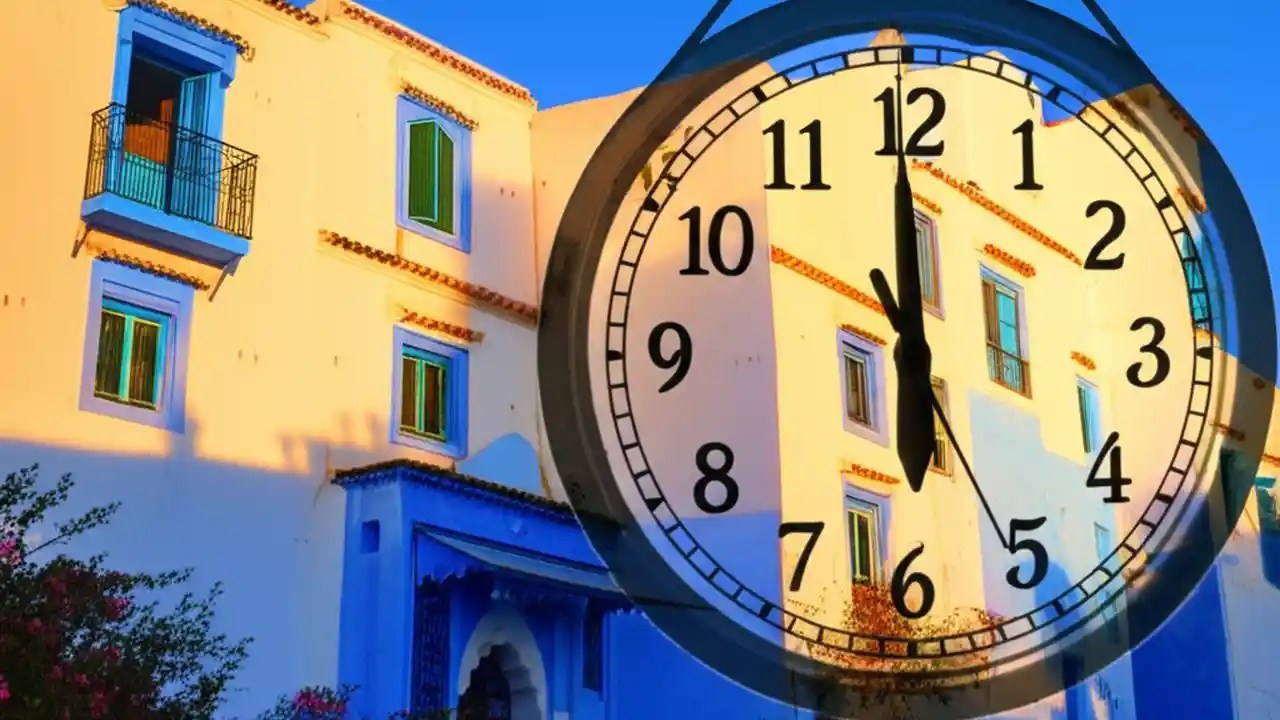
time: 5:59
